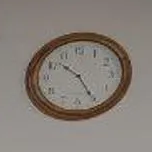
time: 10:25
